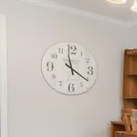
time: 11:21
